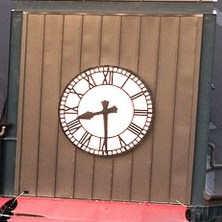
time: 8:29
